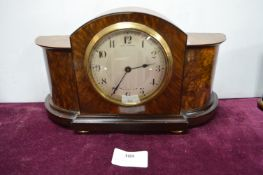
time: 2:35
